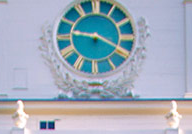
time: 9:19
